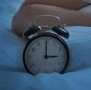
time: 3:00
